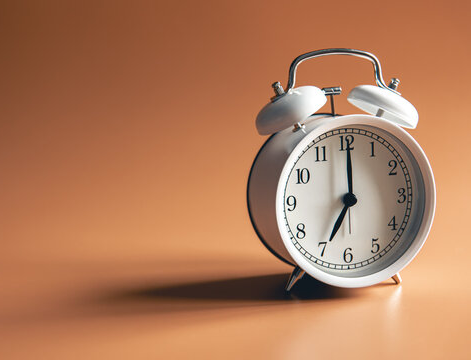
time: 7:00
